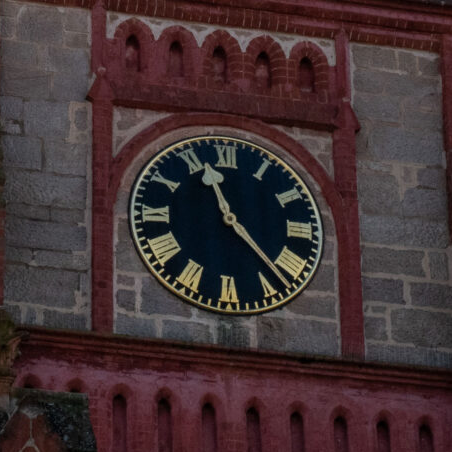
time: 11:22
